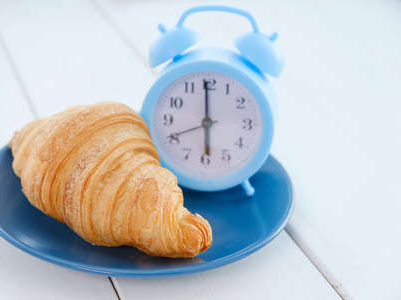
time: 5:59
